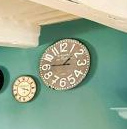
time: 1:45
